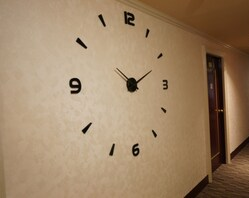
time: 2:11
